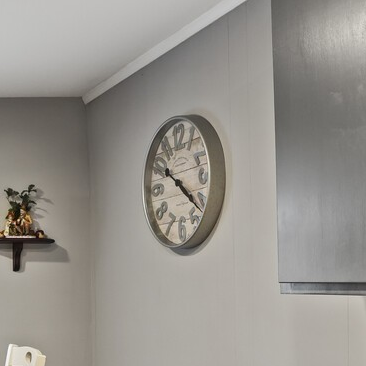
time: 10:21
